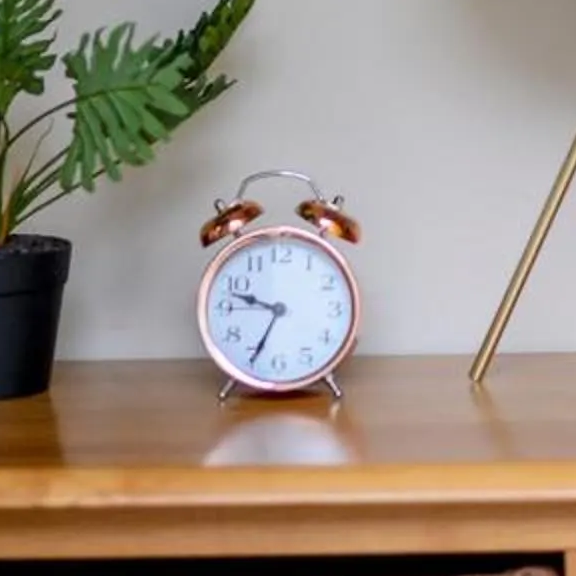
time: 9:34
